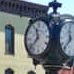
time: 11:37
